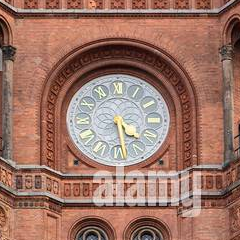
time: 4:28
